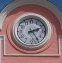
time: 2:24
